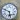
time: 5:48
